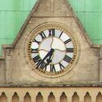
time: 6:36
